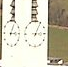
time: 3:04
